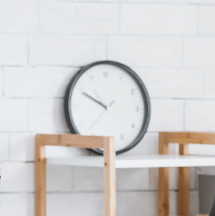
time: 9:49
